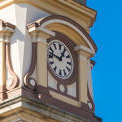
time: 12:46
